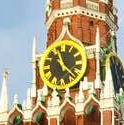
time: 11:21
